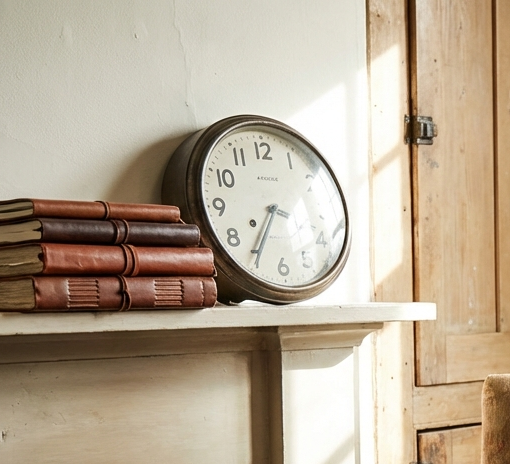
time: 3:35
